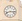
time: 8:16
